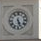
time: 5:26
